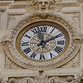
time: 1:57
